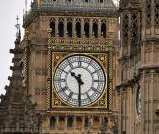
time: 10:30
